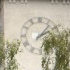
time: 2:06
